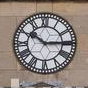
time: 10:14
